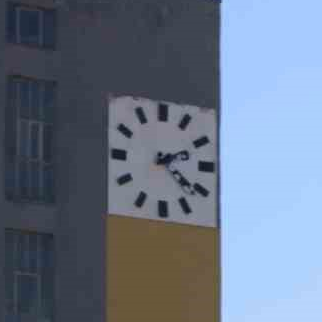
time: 2:21
